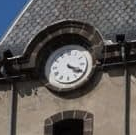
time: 4:19
